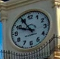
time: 9:54
